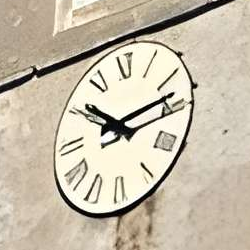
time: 10:13
